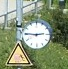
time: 2:45
